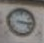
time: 3:16
